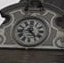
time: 12:23
